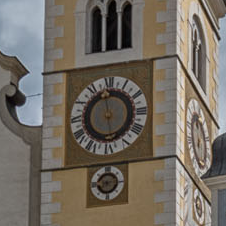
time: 5:59
